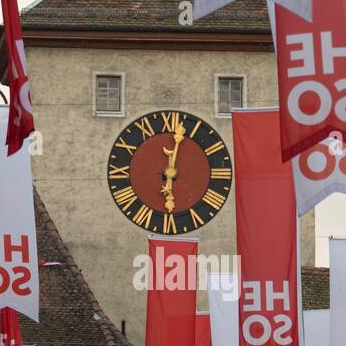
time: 6:02
